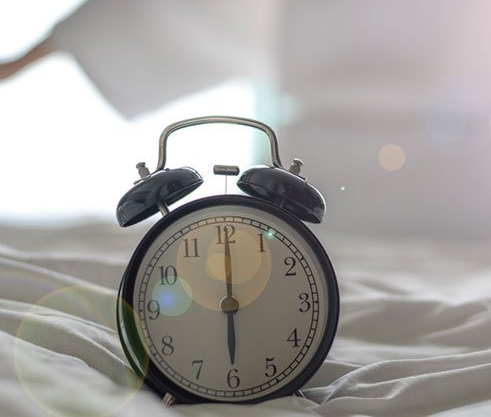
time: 6:00
